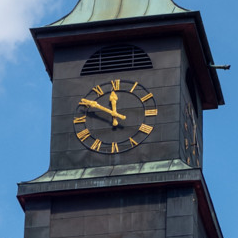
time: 11:48
